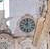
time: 10:00
